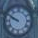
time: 9:50
